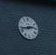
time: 2:43
